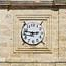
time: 2:48
